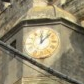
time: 12:07
